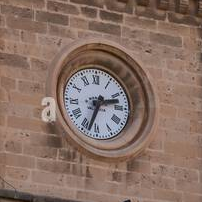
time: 2:33
